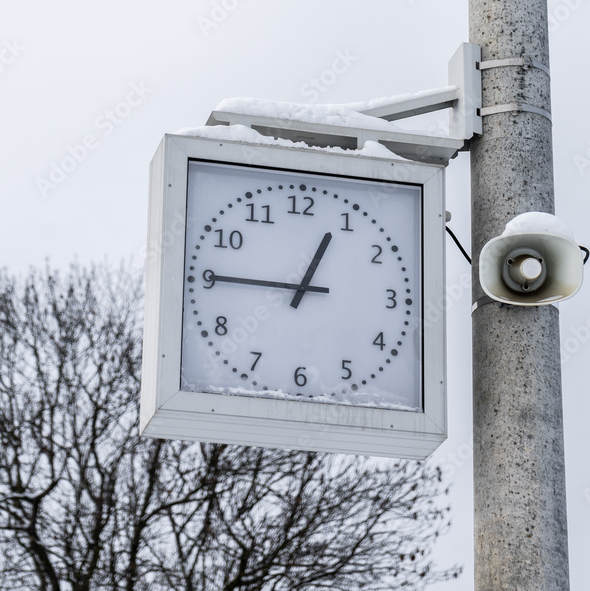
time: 12:45
